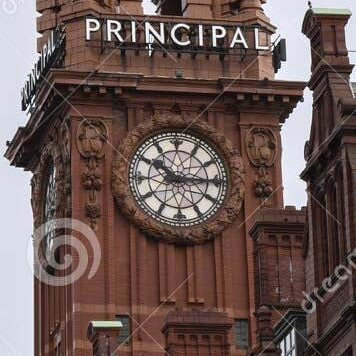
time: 10:15
